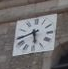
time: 5:43
